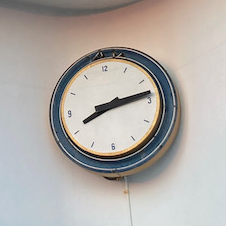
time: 8:13
